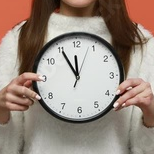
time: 11:54
